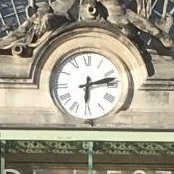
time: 6:12
